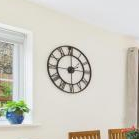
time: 2:00
